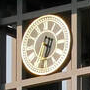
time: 6:32
